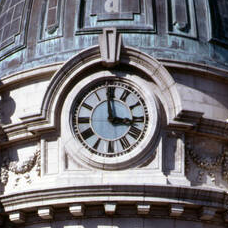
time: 2:58
